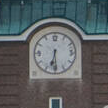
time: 6:29
